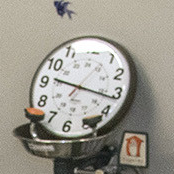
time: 9:16
